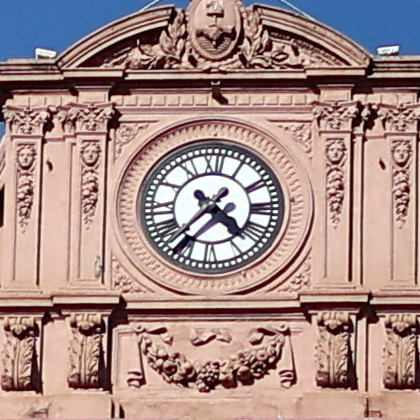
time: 4:36
